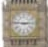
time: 2:46
